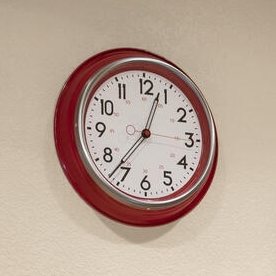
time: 12:36
